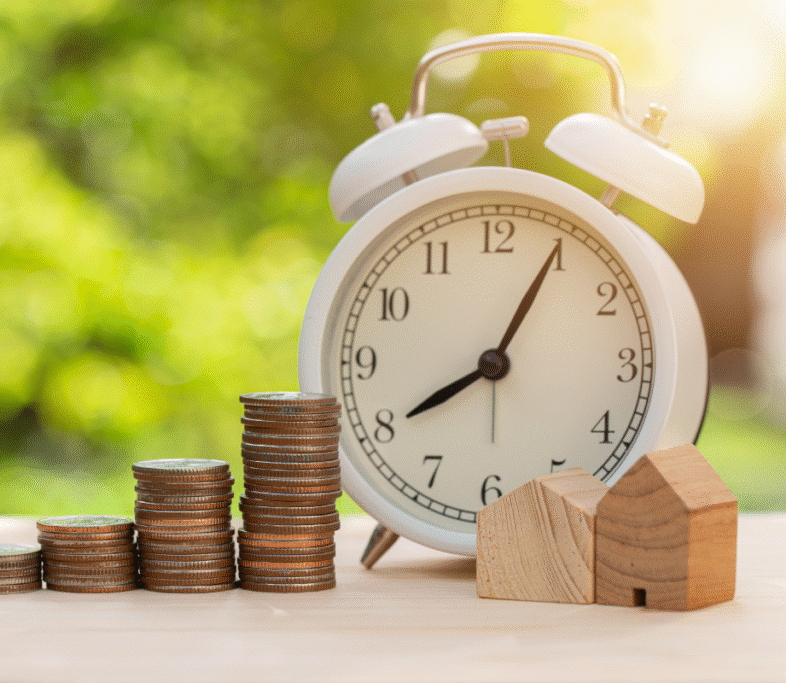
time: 8:04
